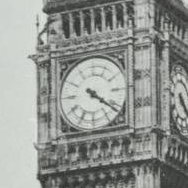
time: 4:21
